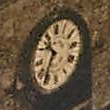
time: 10:34
